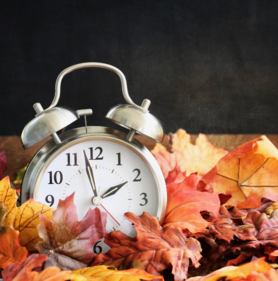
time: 1:57
